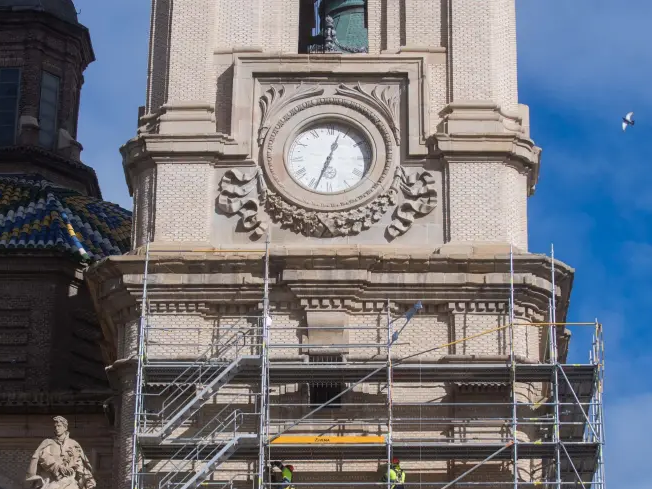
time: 12:33
